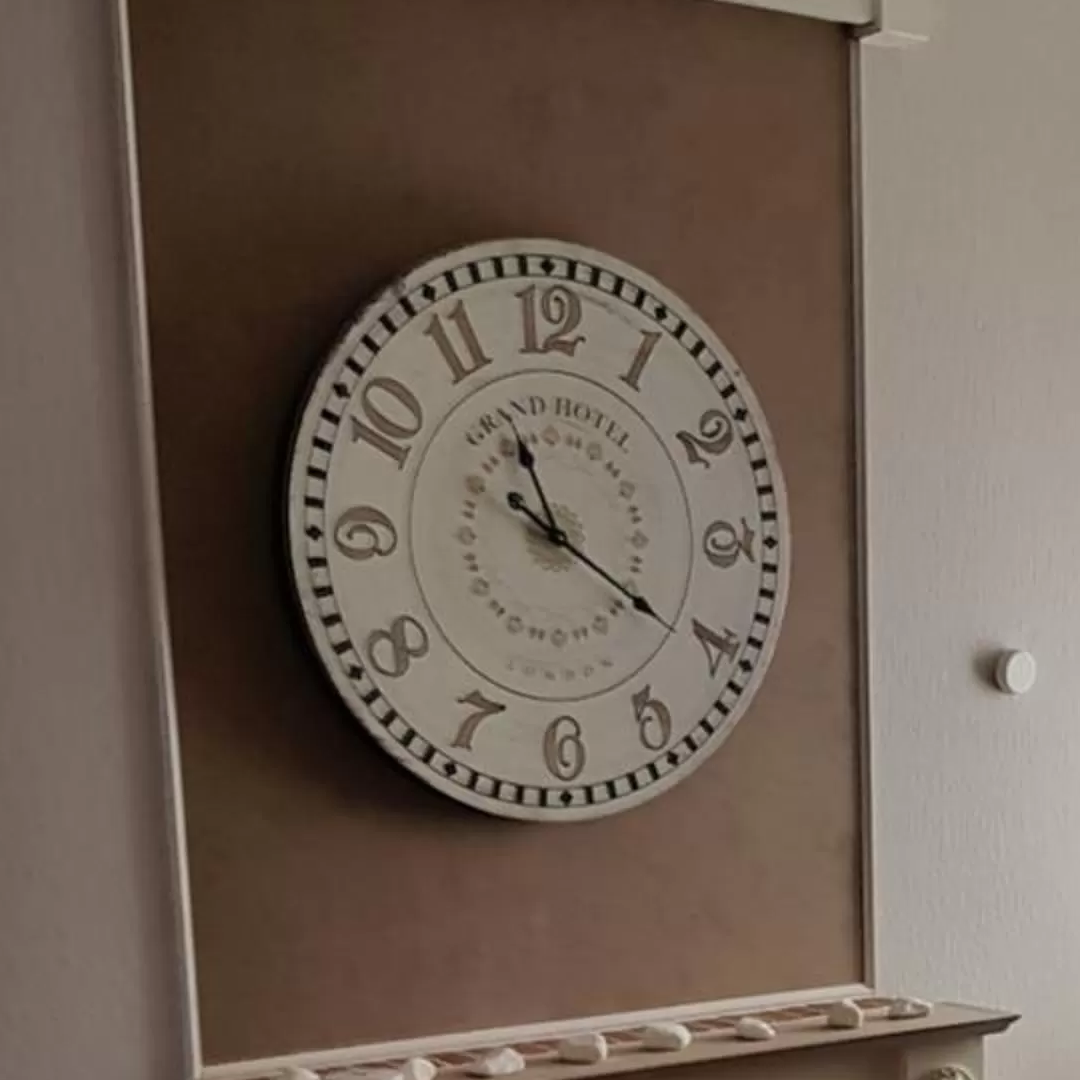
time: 11:20
